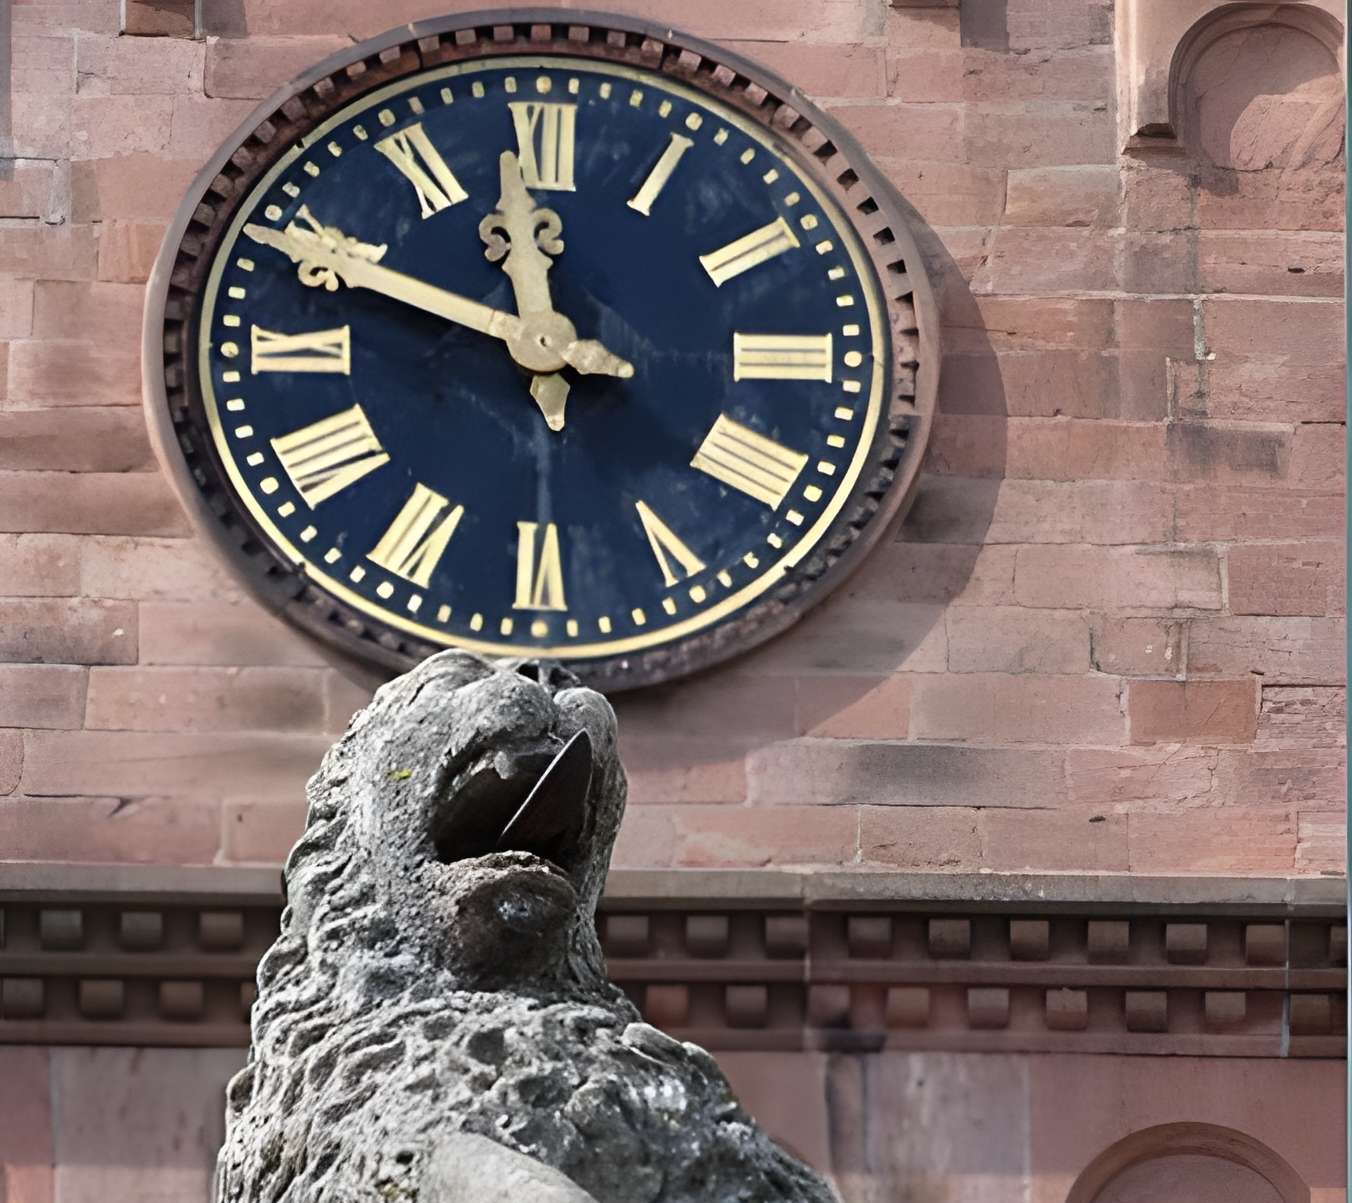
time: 11:48
